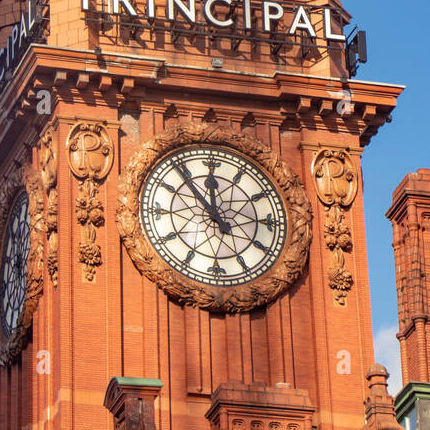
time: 11:53
